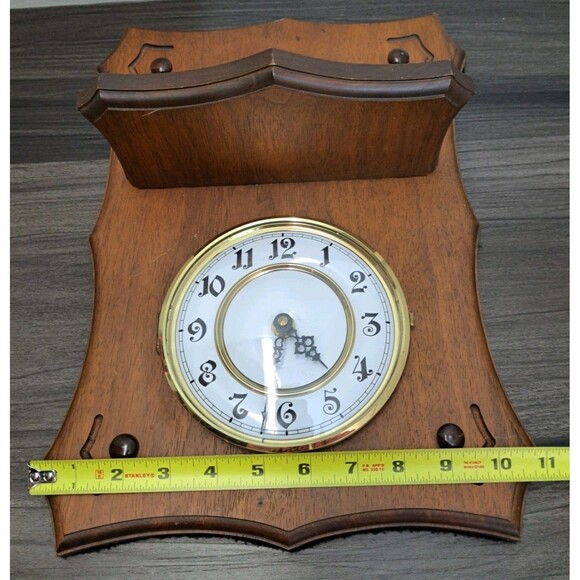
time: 4:31
